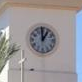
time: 12:59
